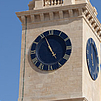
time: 4:56
